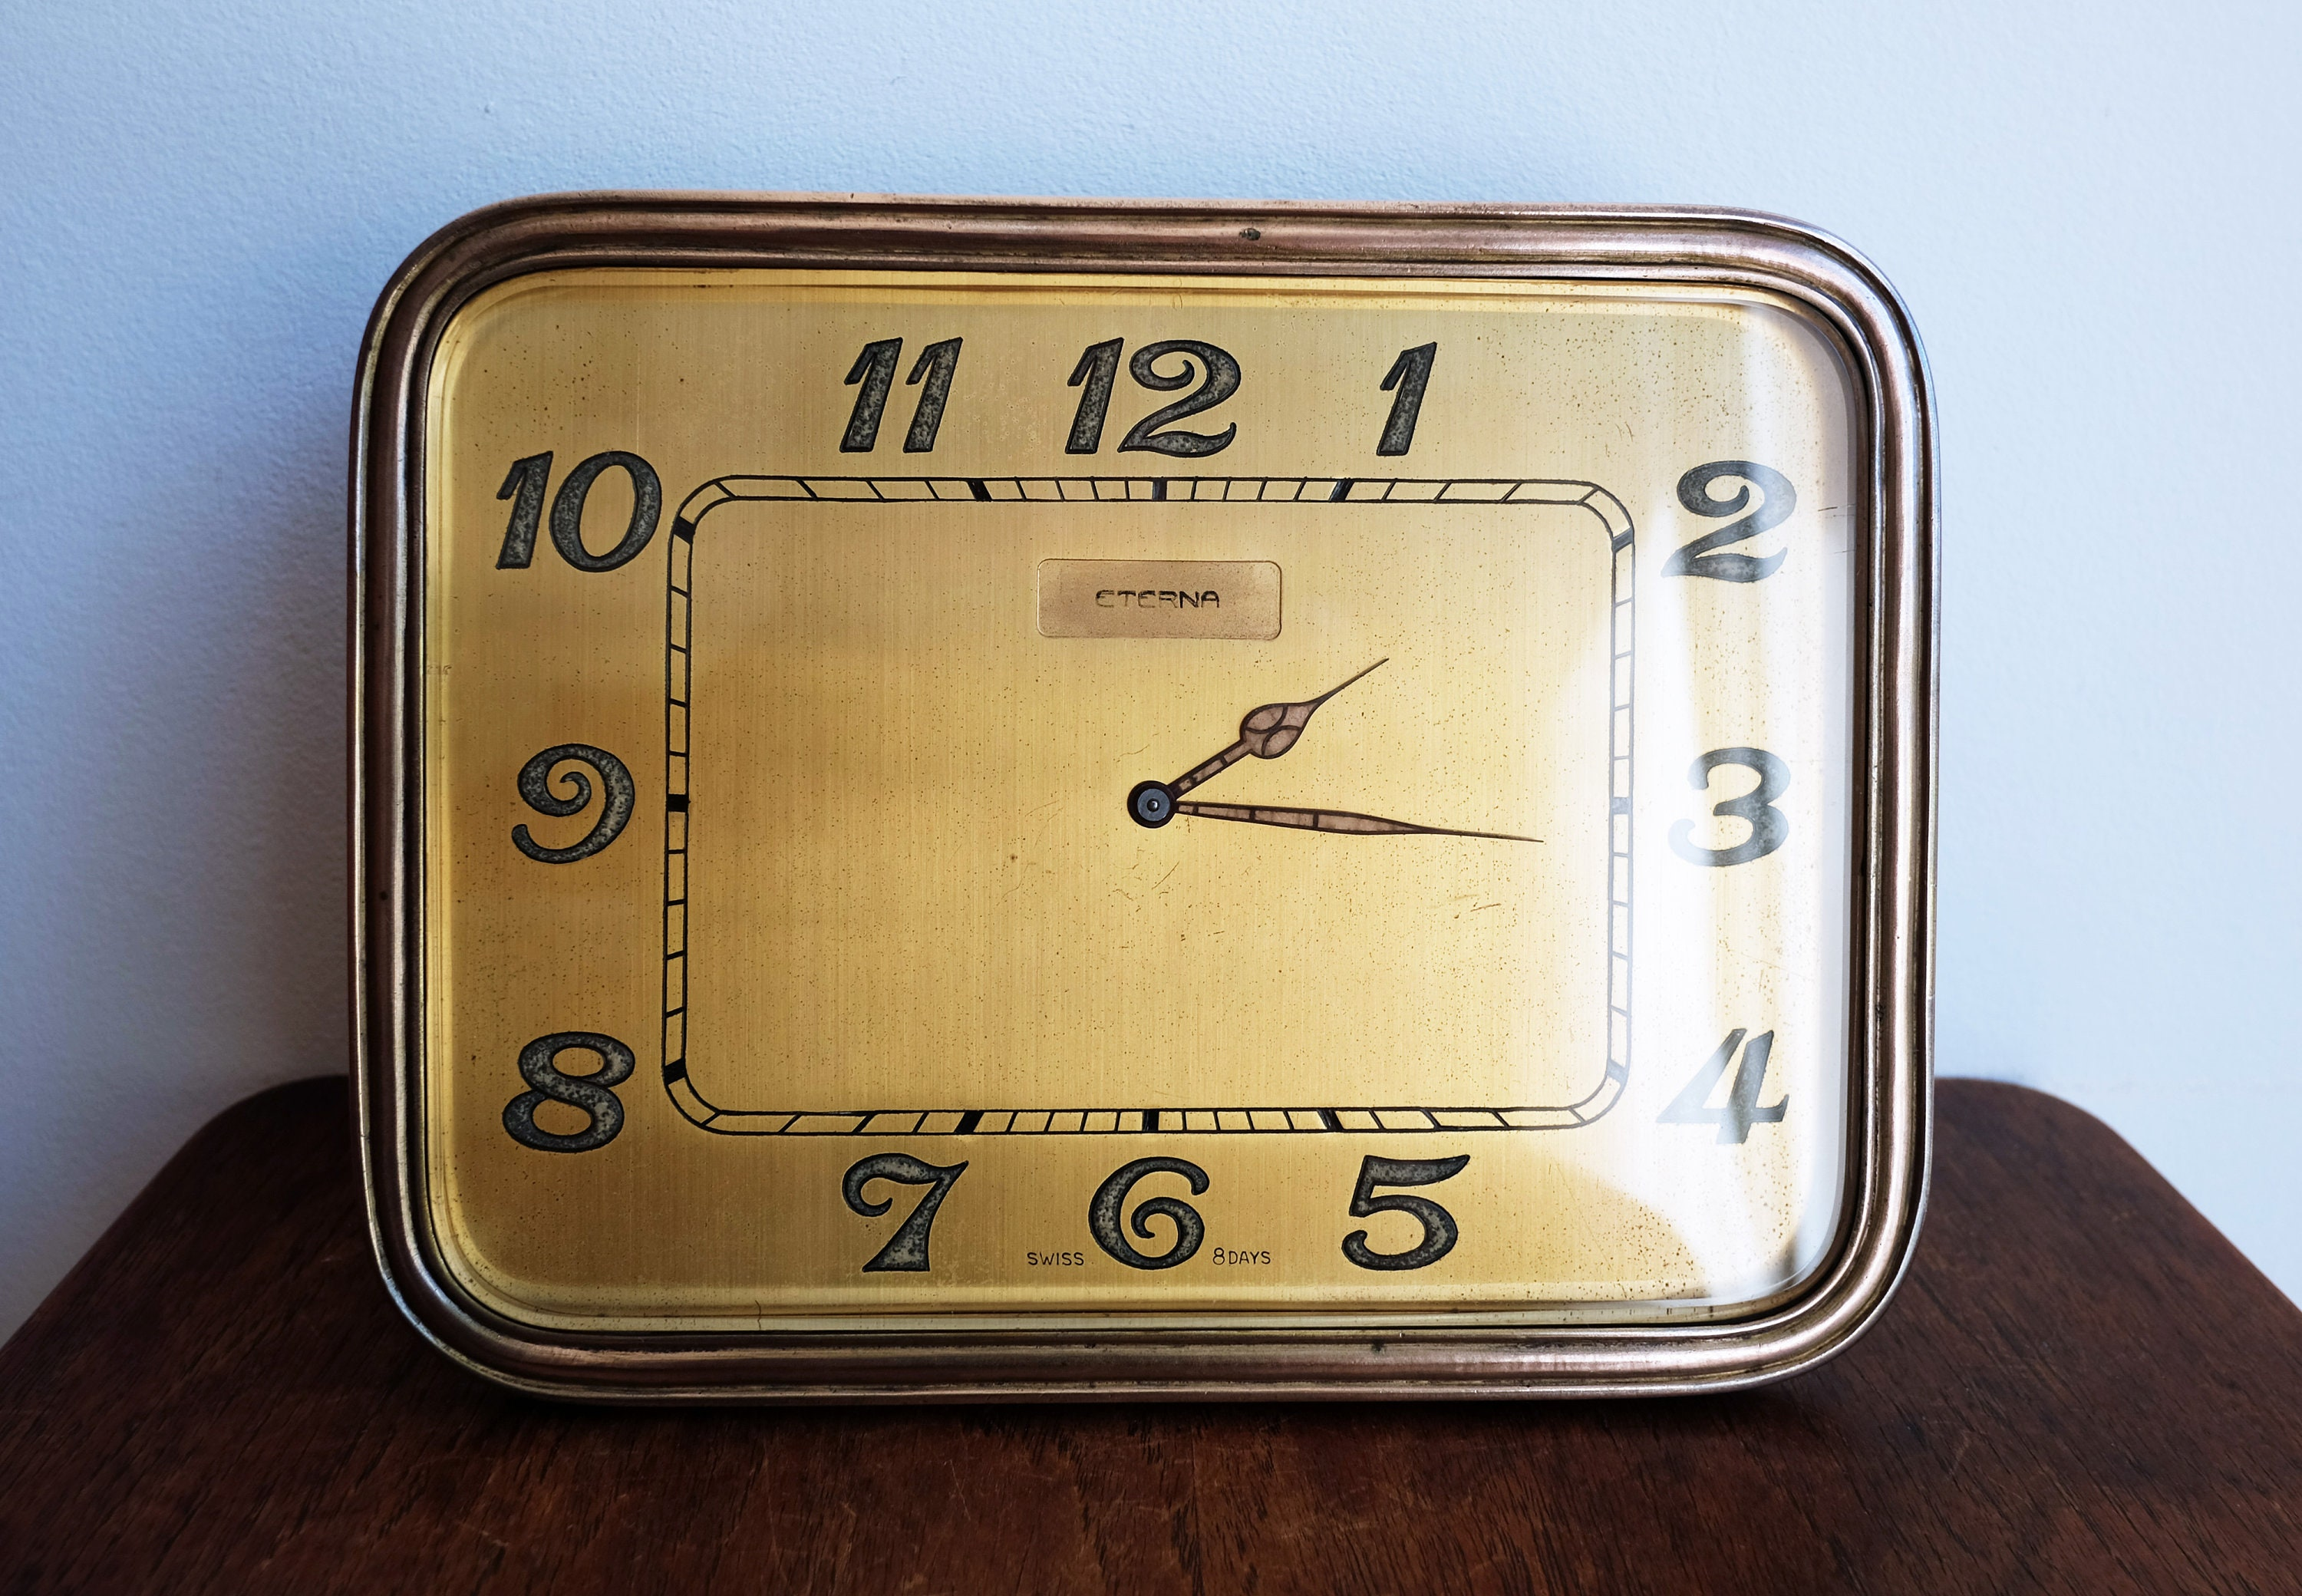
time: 2:16
